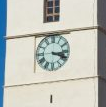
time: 3:18
